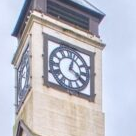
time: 4:02
